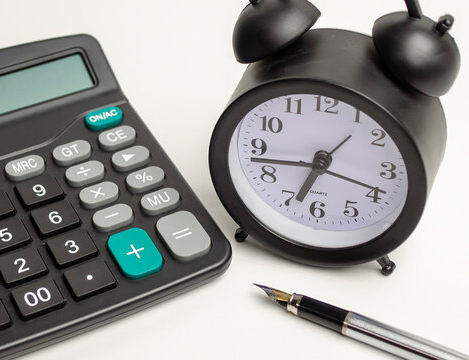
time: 6:42
